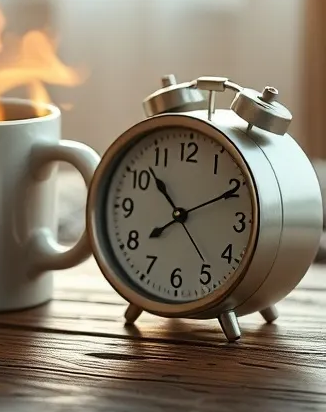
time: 7:52
